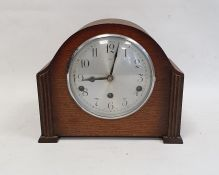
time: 9:02
